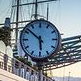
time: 5:51
